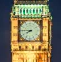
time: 7:45
